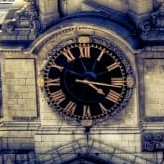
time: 4:16
